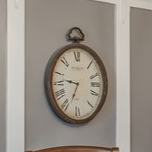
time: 6:46
